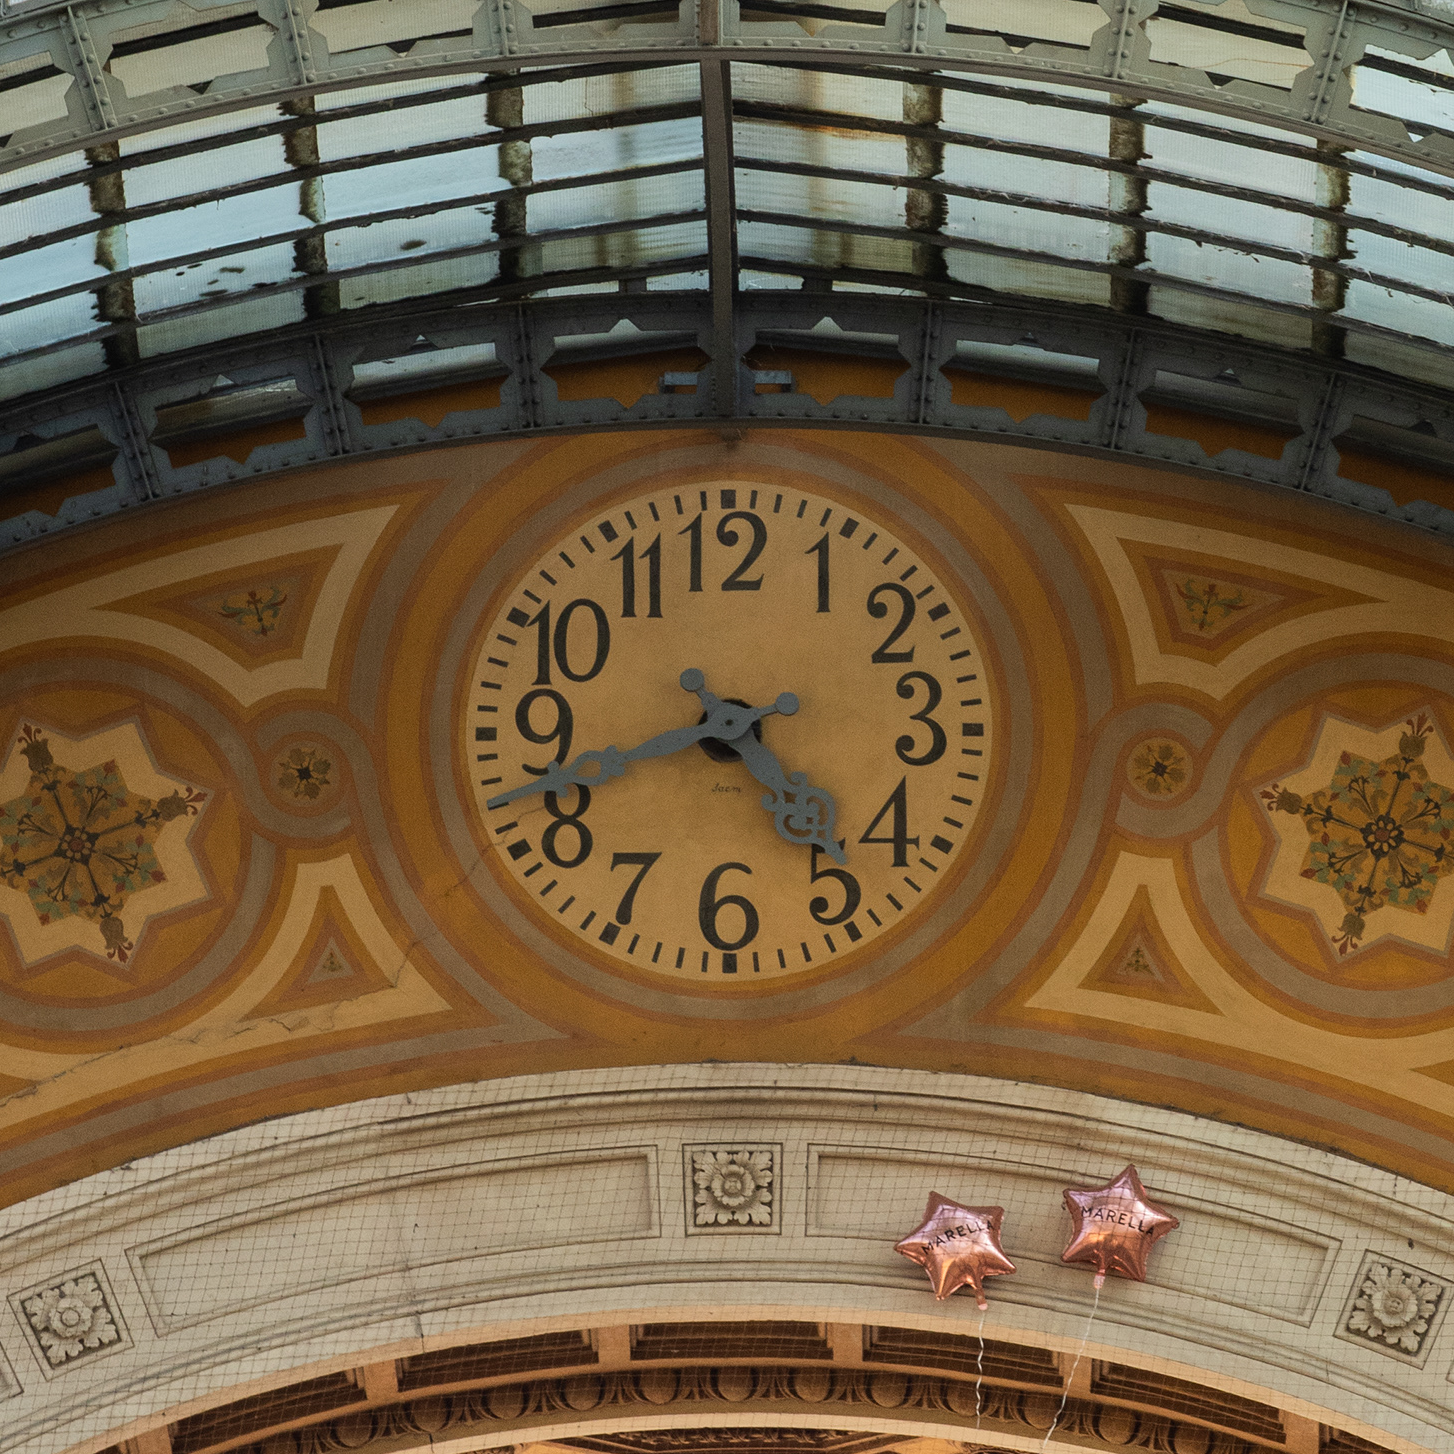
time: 4:42
